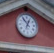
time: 12:53
